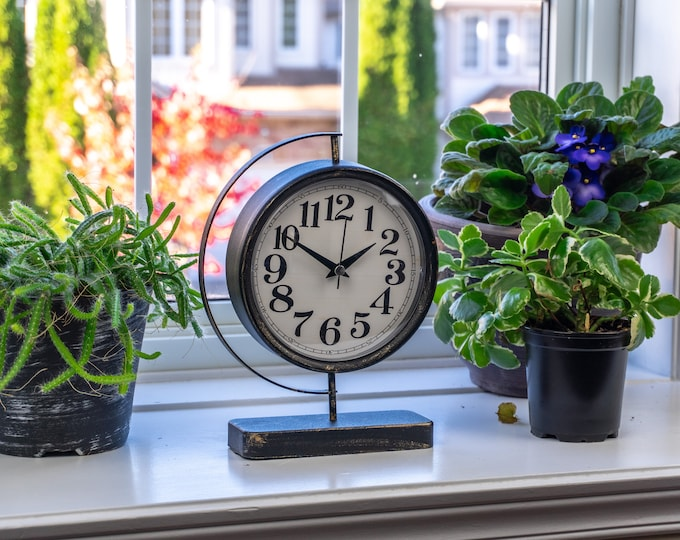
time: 1:50
